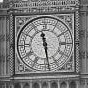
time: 11:28
